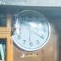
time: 6:20
